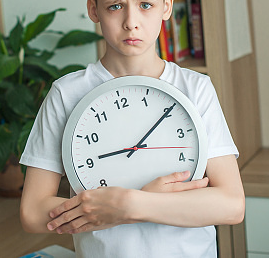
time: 9:10
